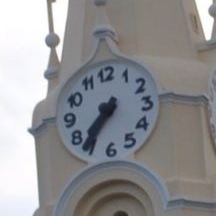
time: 7:36
